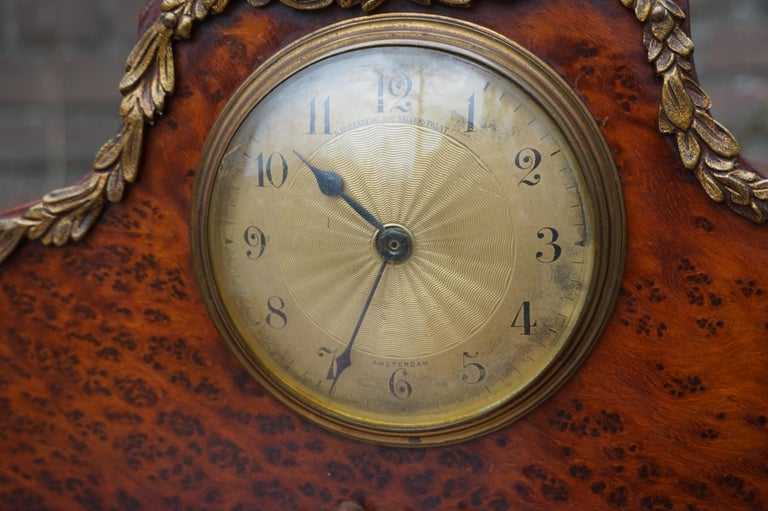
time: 10:34
